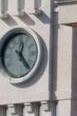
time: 12:23
